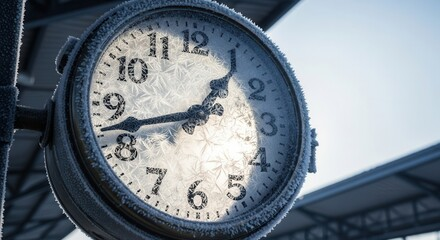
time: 1:42
